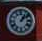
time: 1:08
